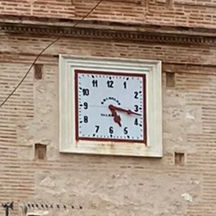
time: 5:17
